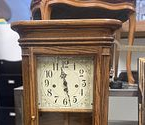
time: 11:27
